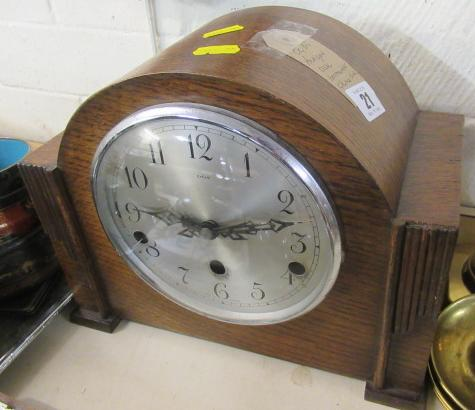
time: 9:12
